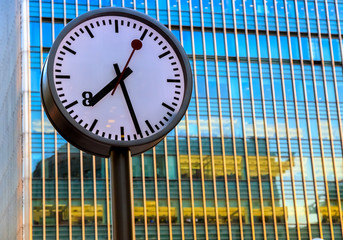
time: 7:27
